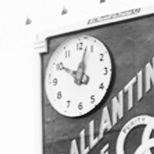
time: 10:02
